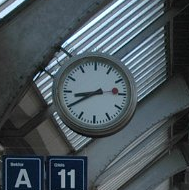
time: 8:40
